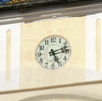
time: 5:12
